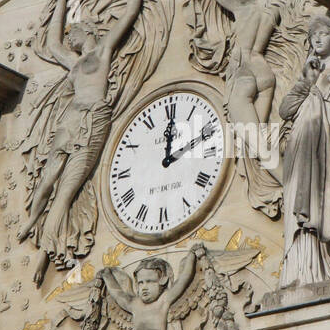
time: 12:11
